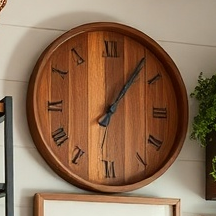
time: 1:06
